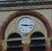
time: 9:15
